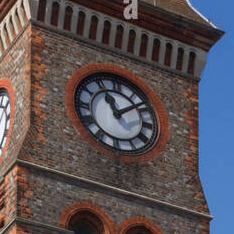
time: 11:08
